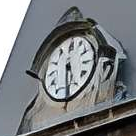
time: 5:29
